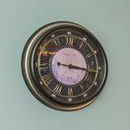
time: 9:16
